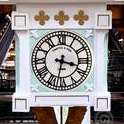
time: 3:32
